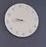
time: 9:45
